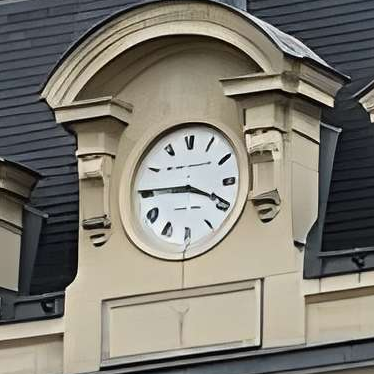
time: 3:45
